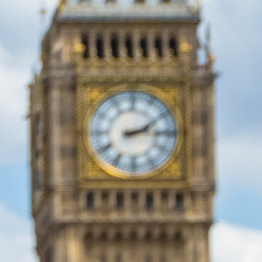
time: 2:15
